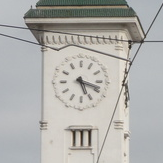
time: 5:18
